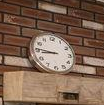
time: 8:46
